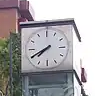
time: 7:40
